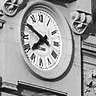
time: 7:49
